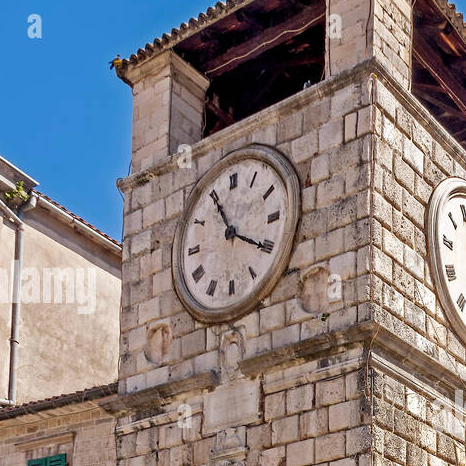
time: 11:20
